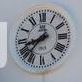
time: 8:37
